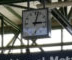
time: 3:02
